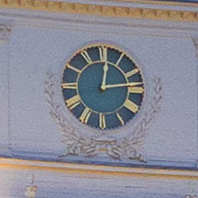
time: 12:13
